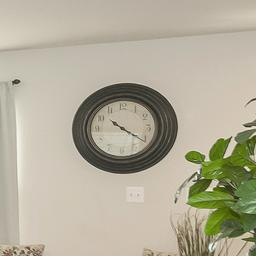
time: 10:20
